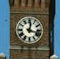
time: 12:17
